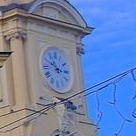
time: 2:49
